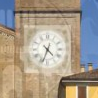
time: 4:33
